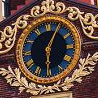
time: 6:04
